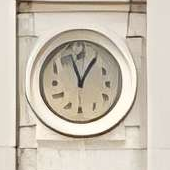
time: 12:57
